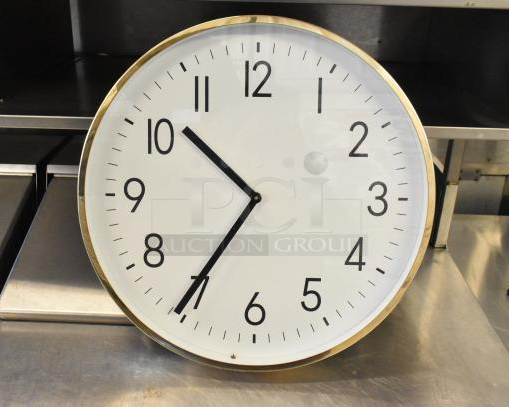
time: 10:35
